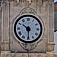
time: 10:29
